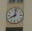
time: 8:01
